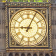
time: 9:04
